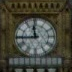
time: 11:44
